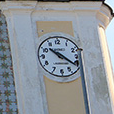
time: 10:20
